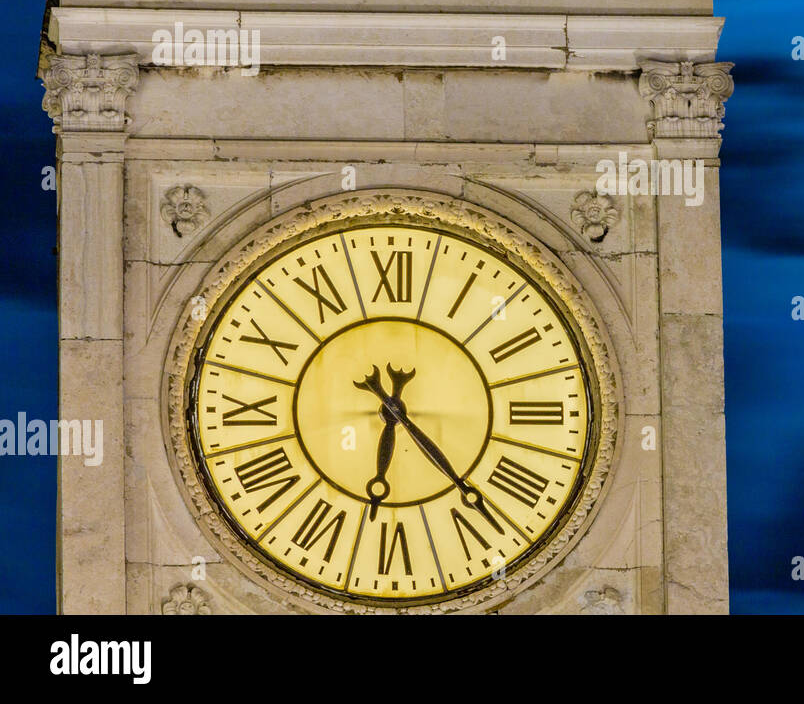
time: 6:23
